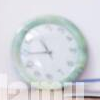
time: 10:44
